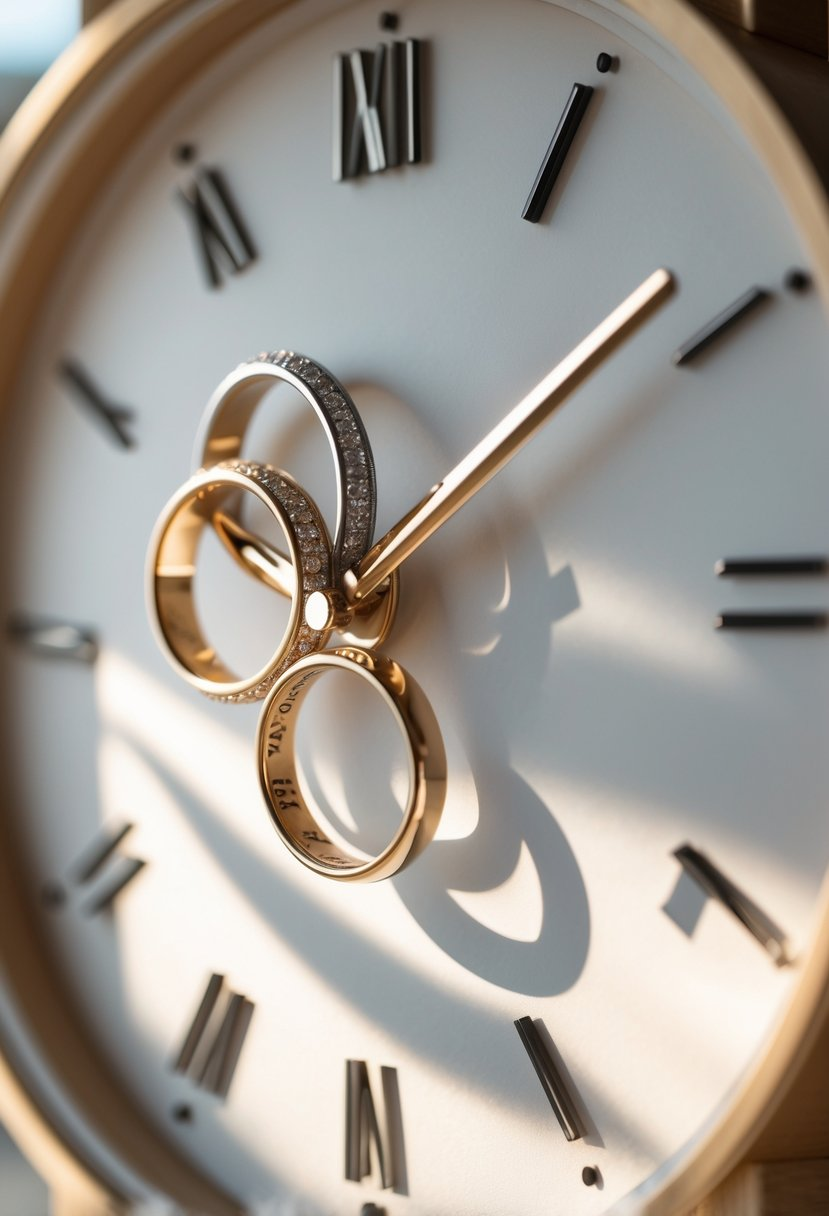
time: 11:09
